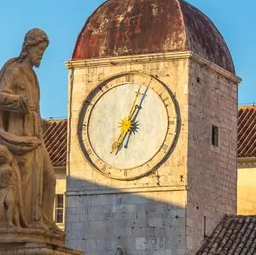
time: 7:04
